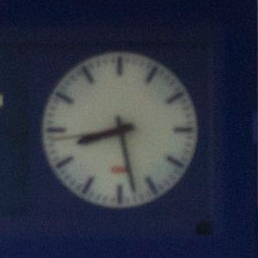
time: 8:27
